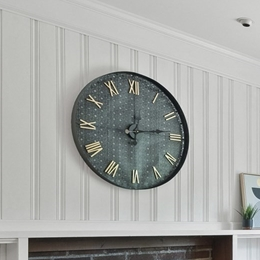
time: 12:13
